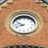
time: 8:49
